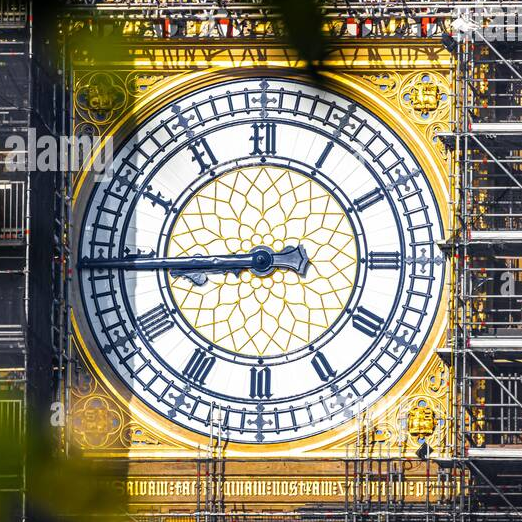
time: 8:44
